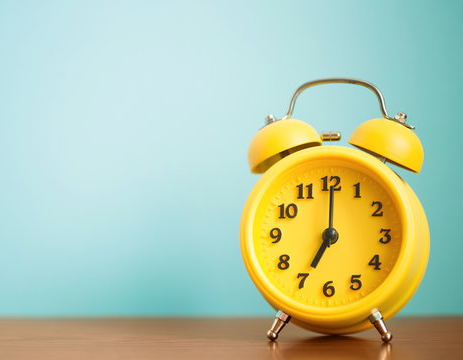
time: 7:00
